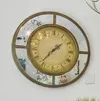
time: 1:36
